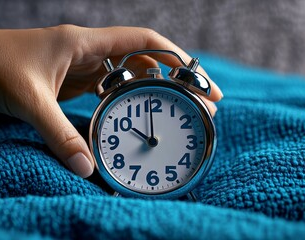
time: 9:59
